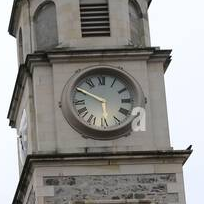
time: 5:49
